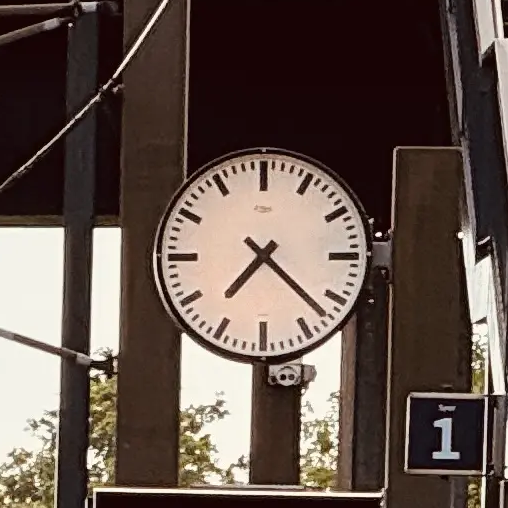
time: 7:22
